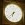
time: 6:37
